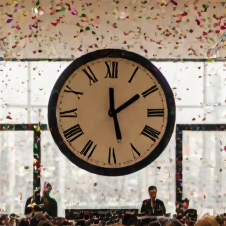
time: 12:09
